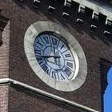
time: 11:41
